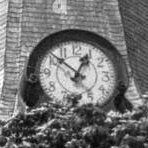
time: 12:52
